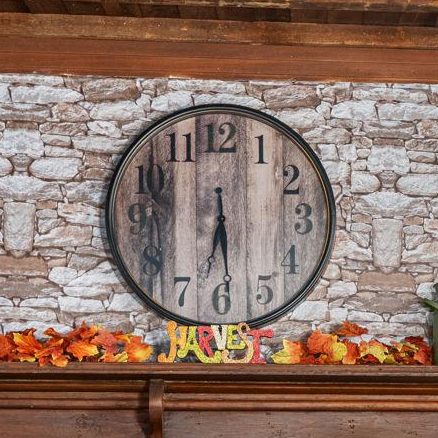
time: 6:29
